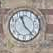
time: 11:22
